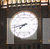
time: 7:42
